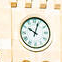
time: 10:03
